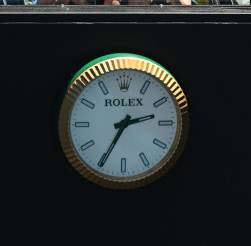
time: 2:34
